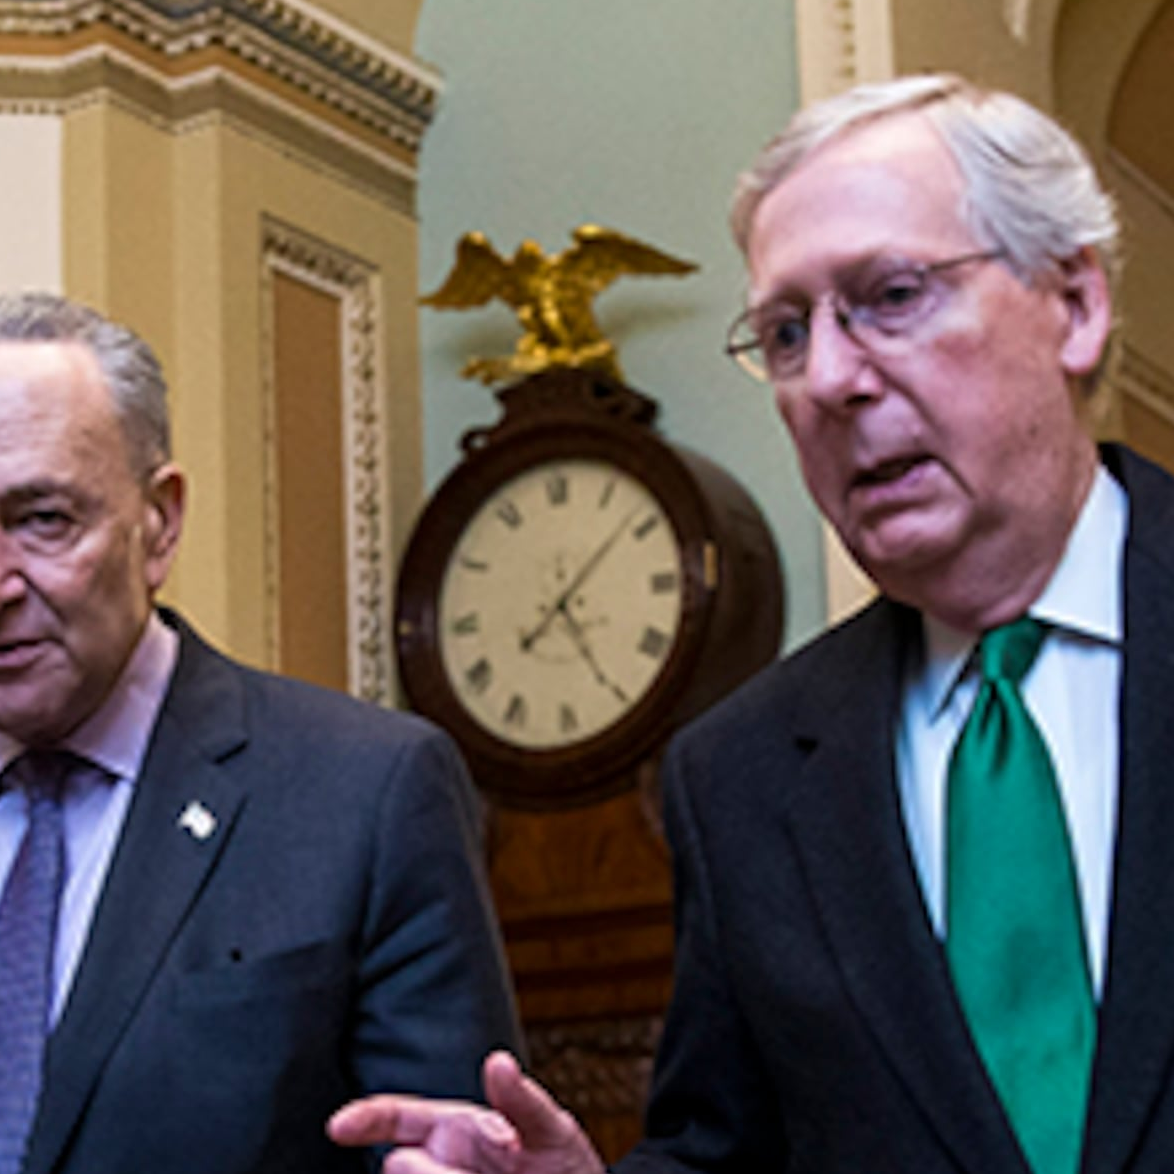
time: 5:08
